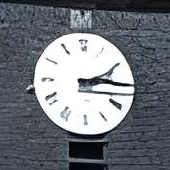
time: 2:15
